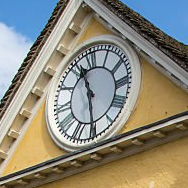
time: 11:29
